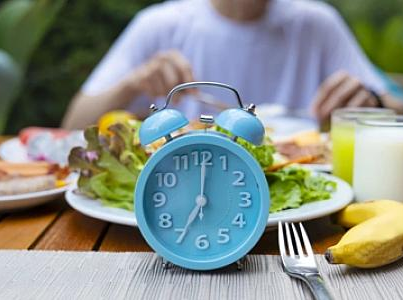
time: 7:00
